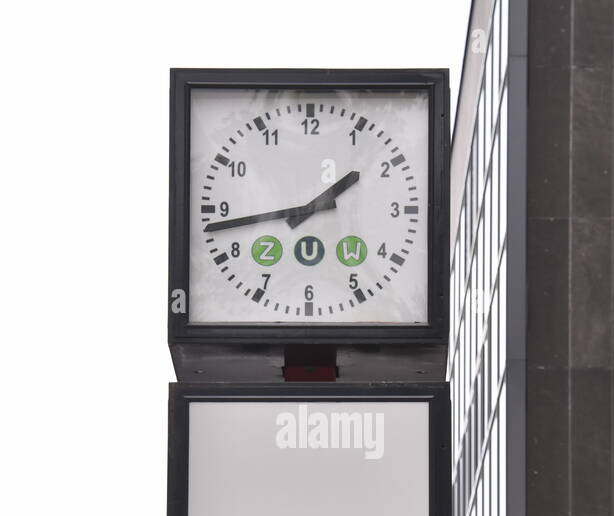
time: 1:43
